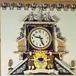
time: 9:26
